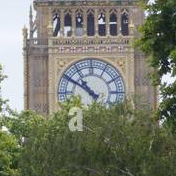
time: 10:50
